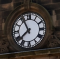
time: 7:55
